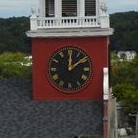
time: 12:08
